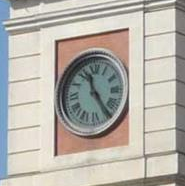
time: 11:24
